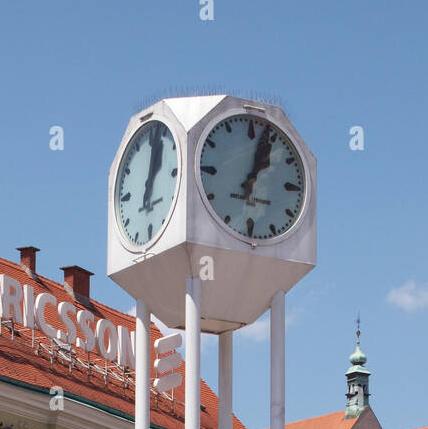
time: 1:02
